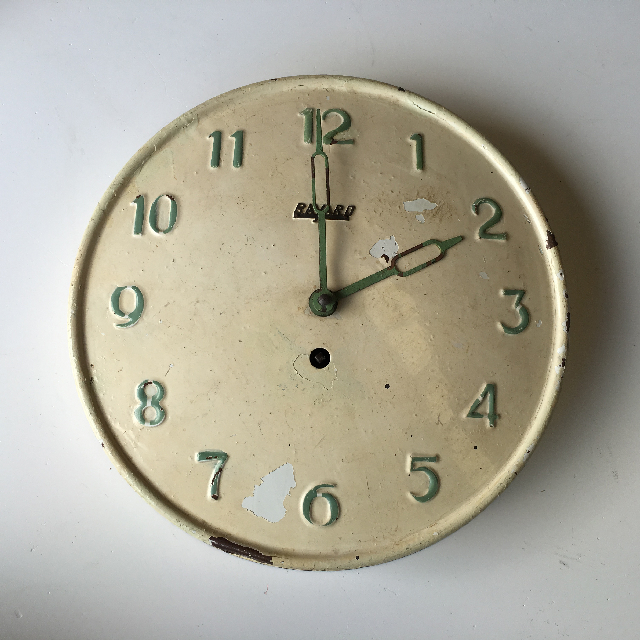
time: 2:00
